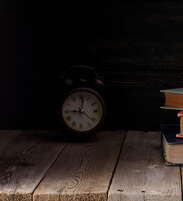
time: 9:01
